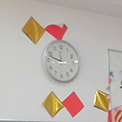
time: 11:47
